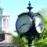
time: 2:40
